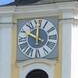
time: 10:00
